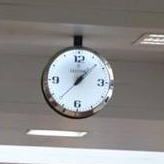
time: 1:37
